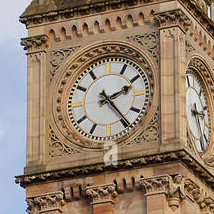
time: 2:23
